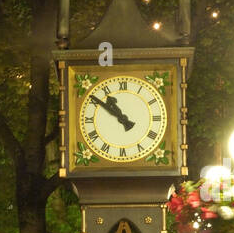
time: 10:51
